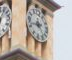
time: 4:42
